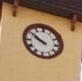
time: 9:50
